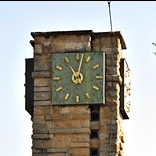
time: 11:02
